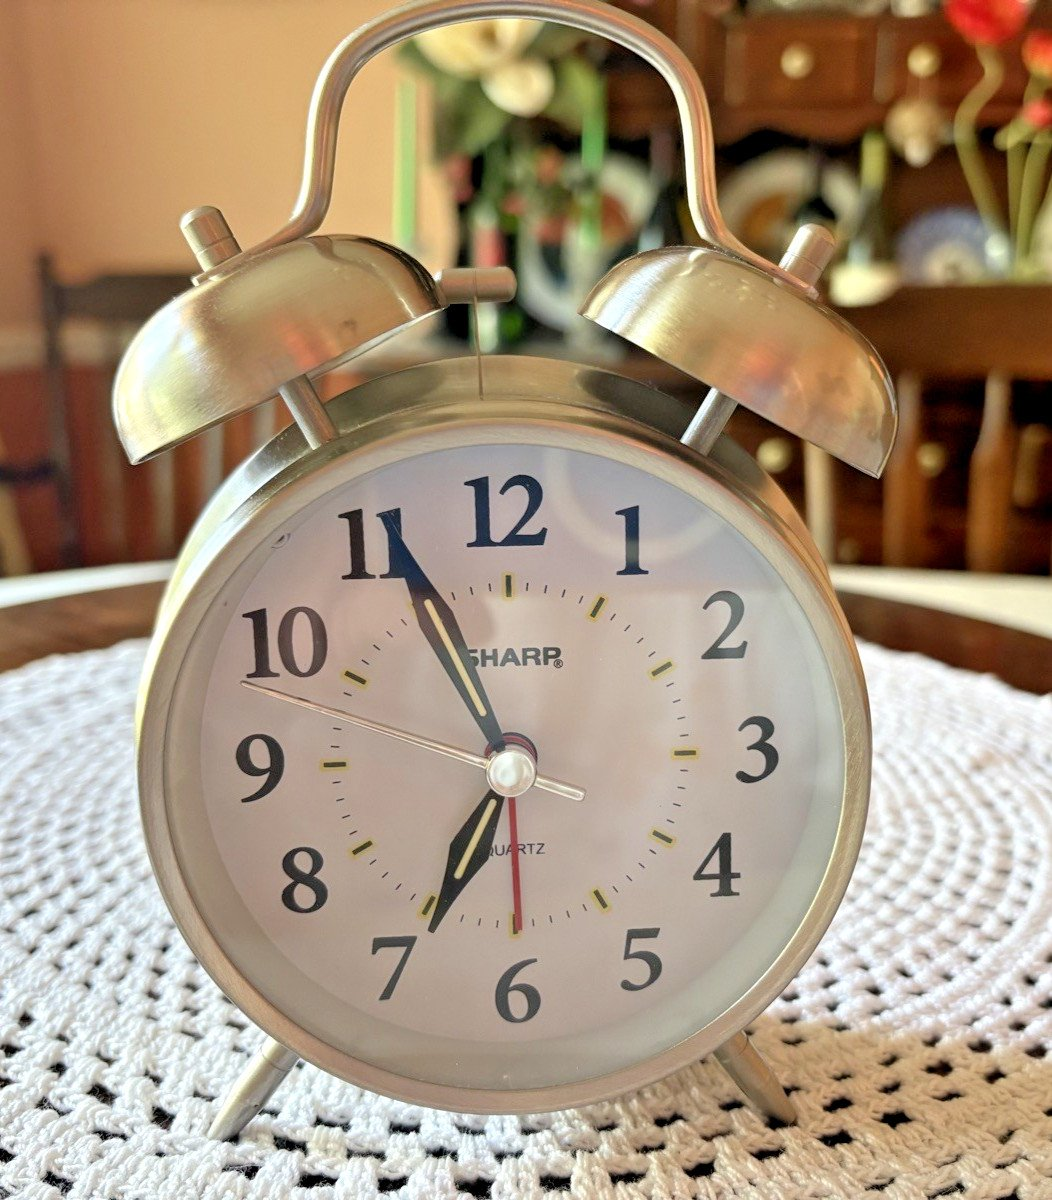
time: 6:55
